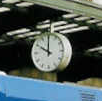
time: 10:00
